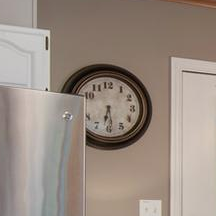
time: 6:28
